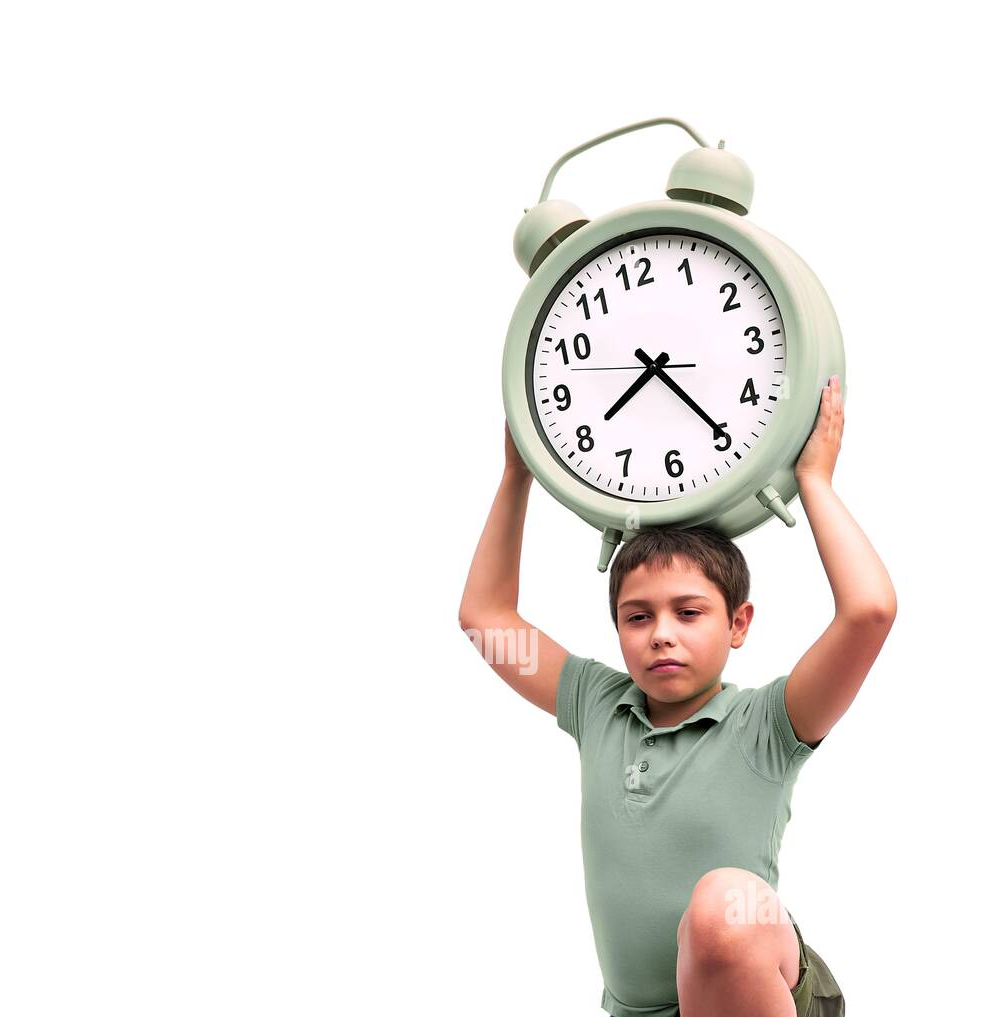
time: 7:24
